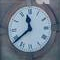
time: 11:39
